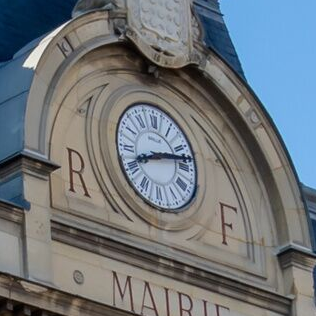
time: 8:12
